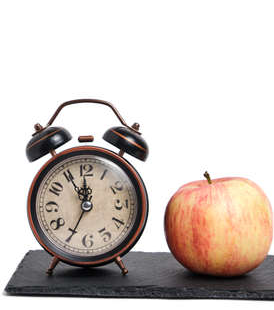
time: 11:55
